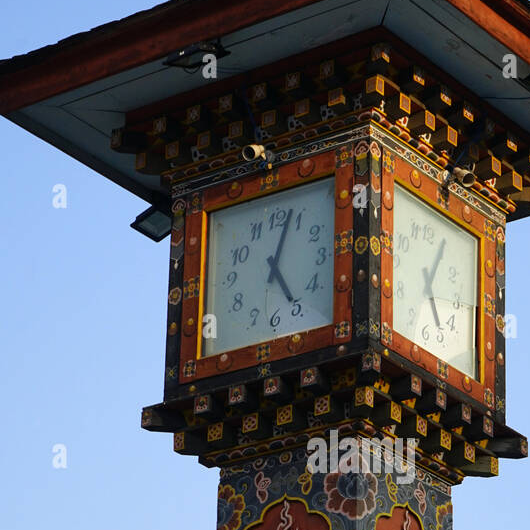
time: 5:03
